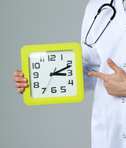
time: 3:11
